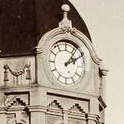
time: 2:06
